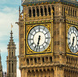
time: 6:32
